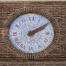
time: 2:09
